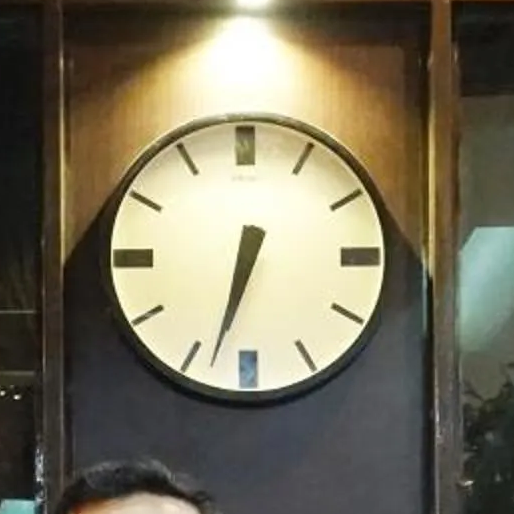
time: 6:32
